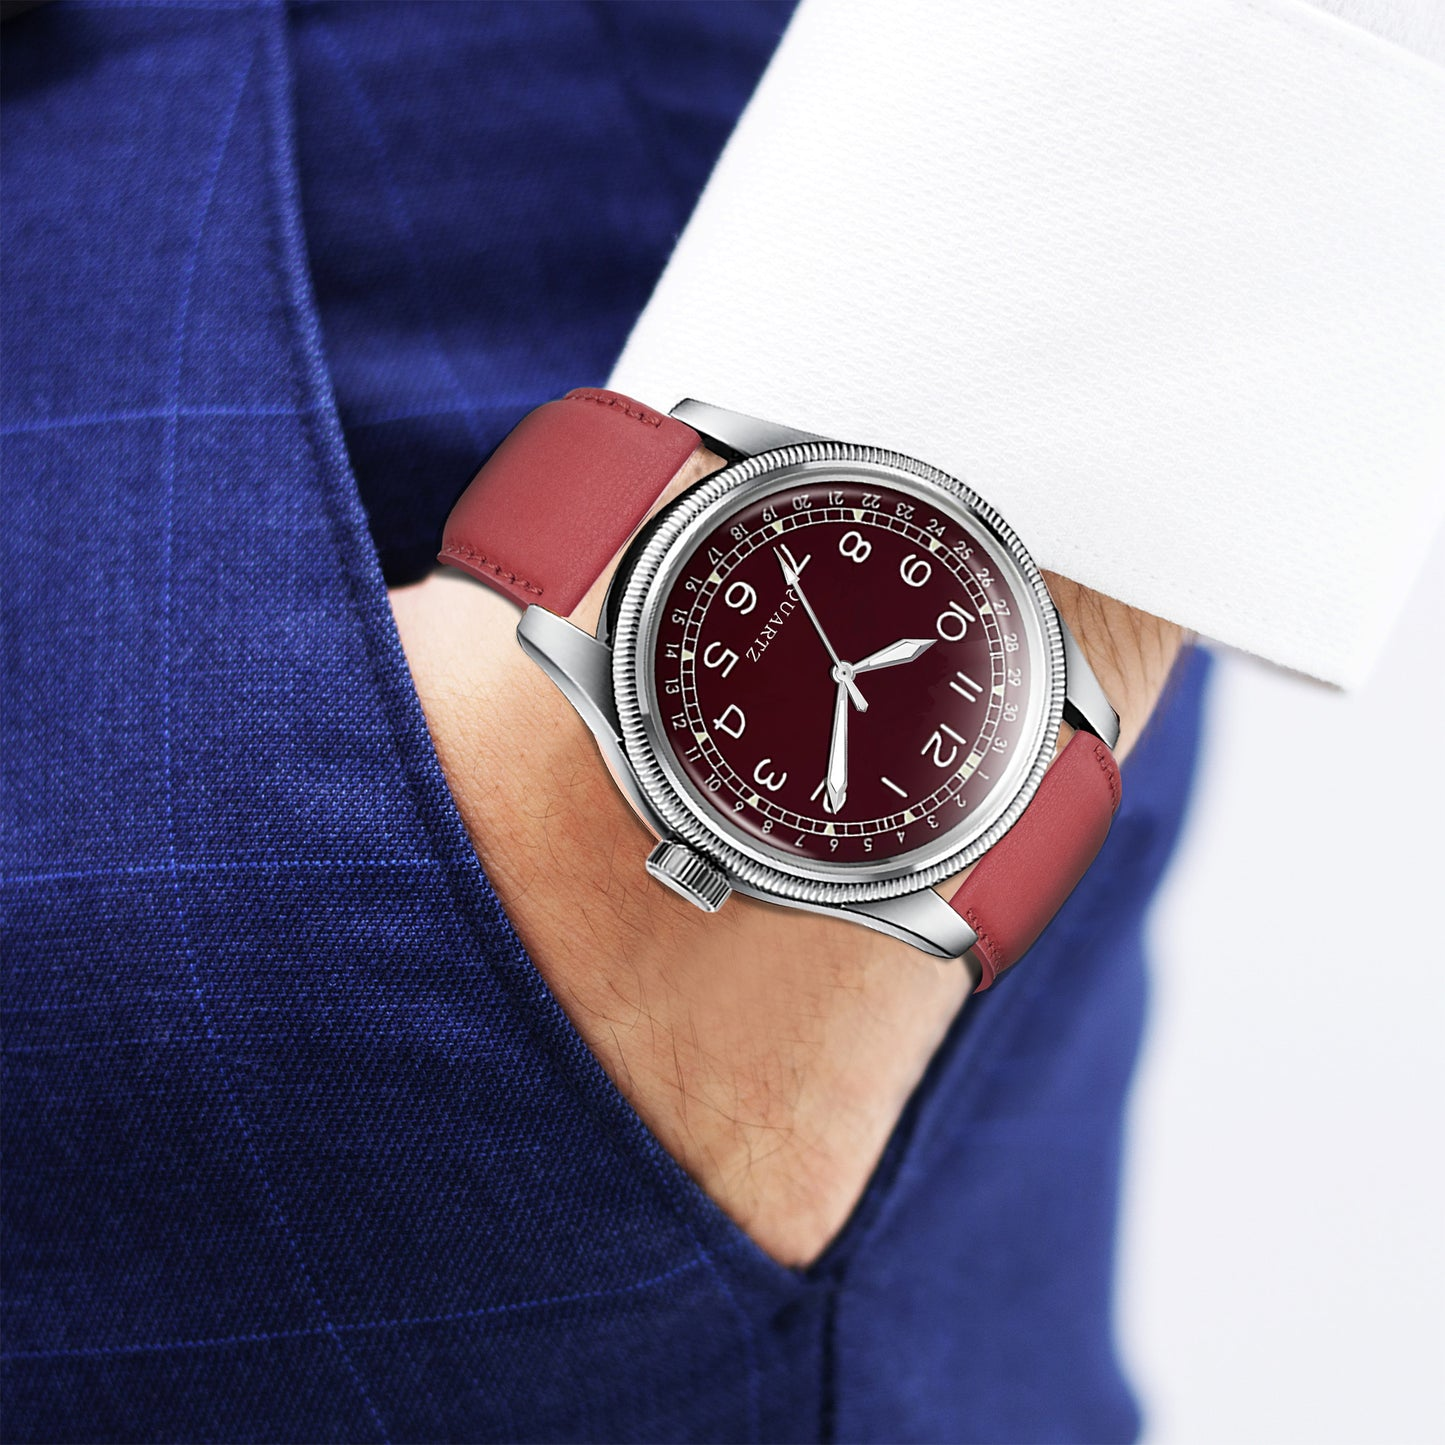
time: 2:29
